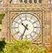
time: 10:34
